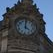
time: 4:00
